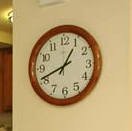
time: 12:41
